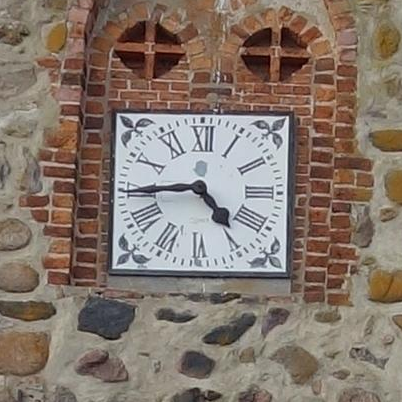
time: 4:44
